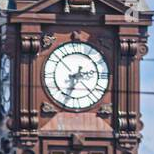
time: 2:33
